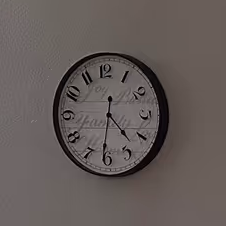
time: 4:31
